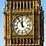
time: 11:55
